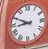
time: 8:49
